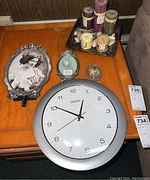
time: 12:50
